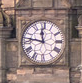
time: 11:46
